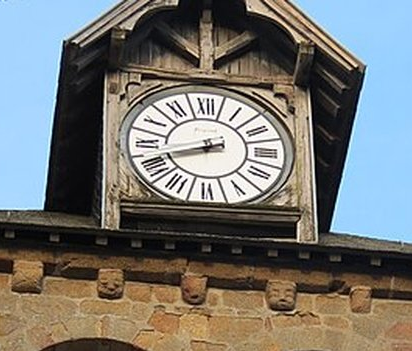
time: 8:41
